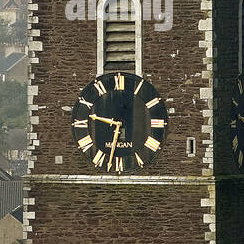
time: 9:32
